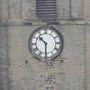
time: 10:30
